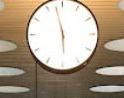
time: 5:57
